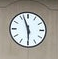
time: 5:56
